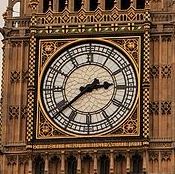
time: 2:38
